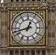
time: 12:42
